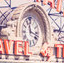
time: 11:17
